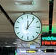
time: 12:06
